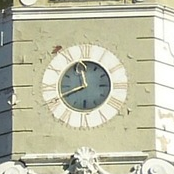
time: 11:40
